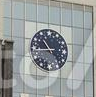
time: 10:45
